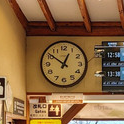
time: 12:51
